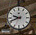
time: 9:41
